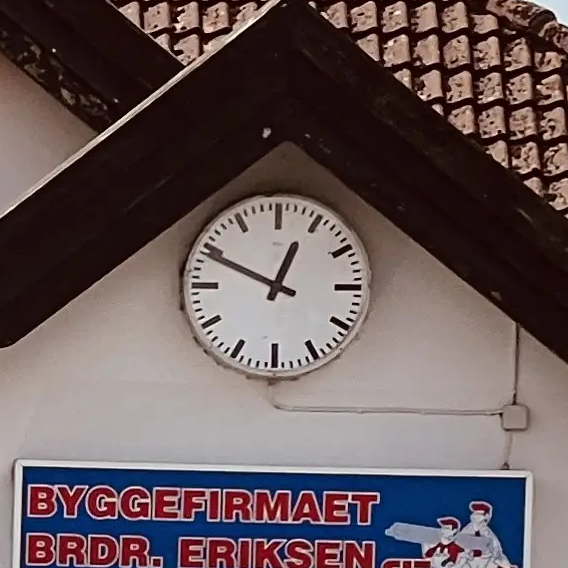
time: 12:49
